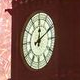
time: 12:10
